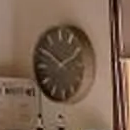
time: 1:50
